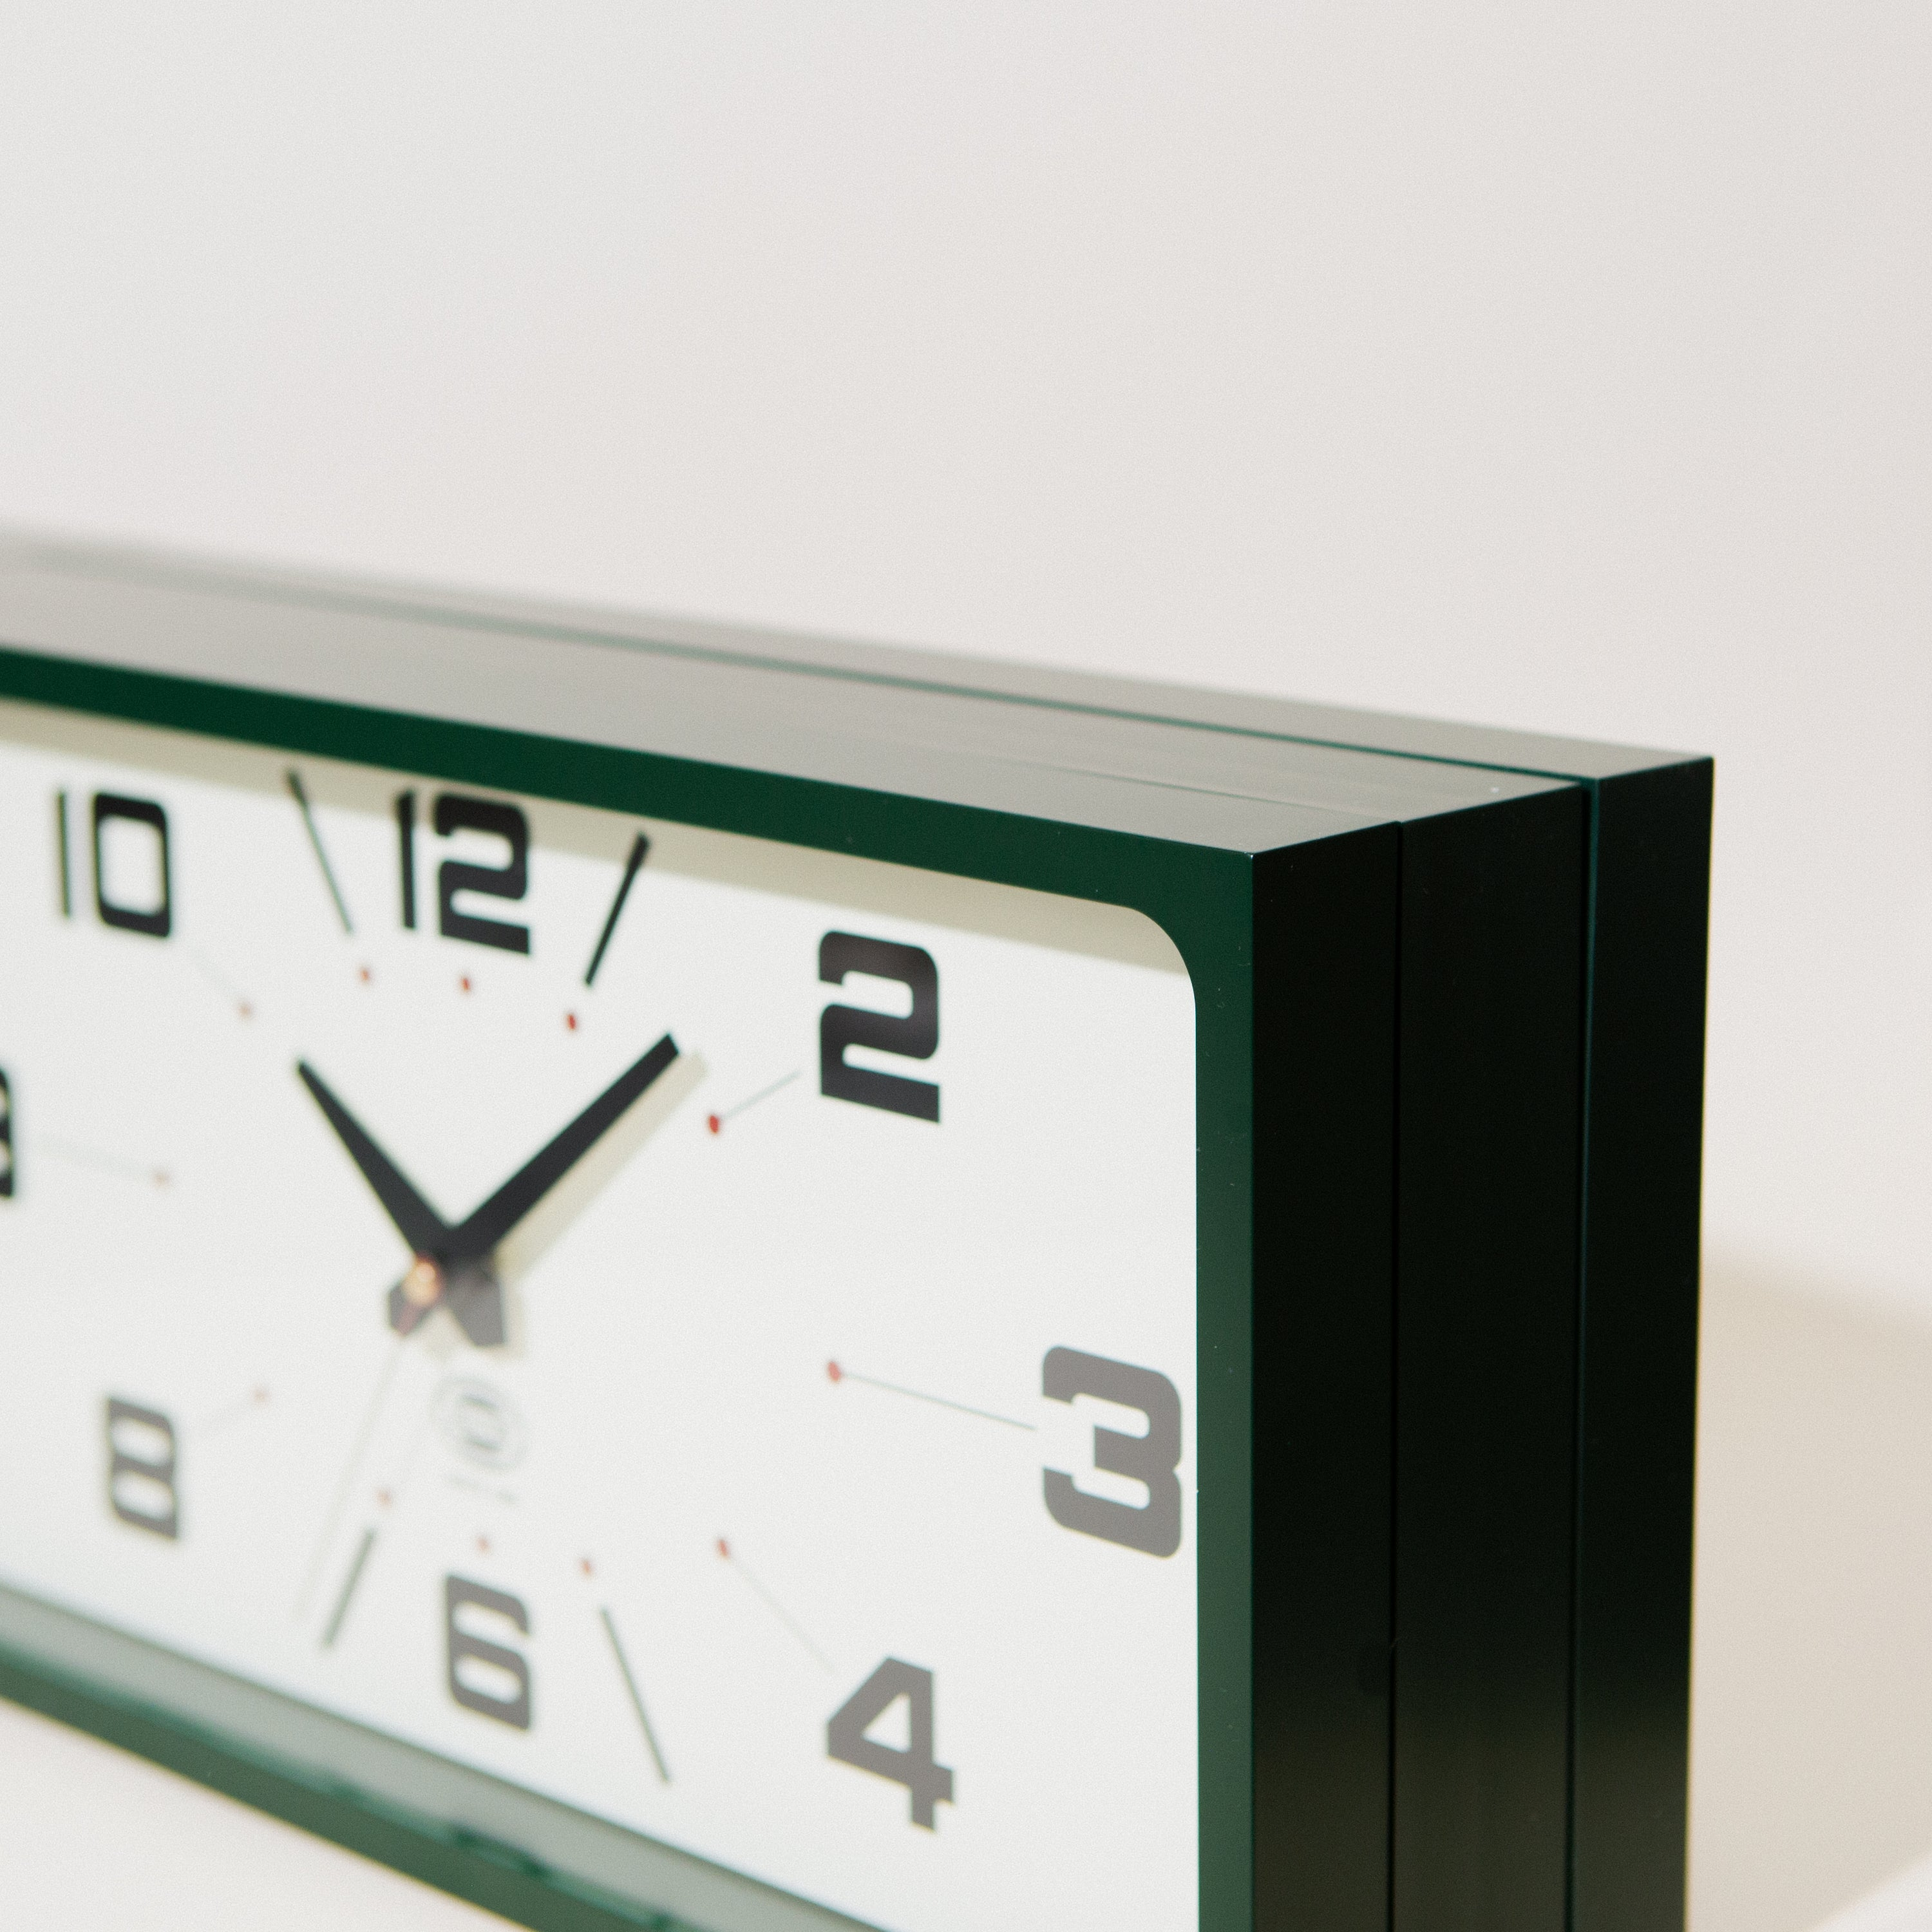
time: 11:07
